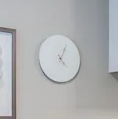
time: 4:04
